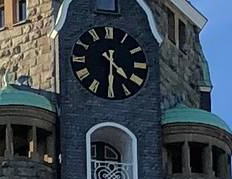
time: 4:30
